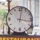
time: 12:16
